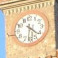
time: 4:31
